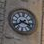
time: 3:39
